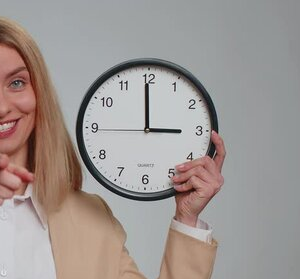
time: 2:59
